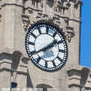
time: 1:39
